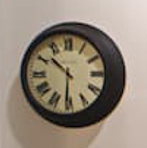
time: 10:30
